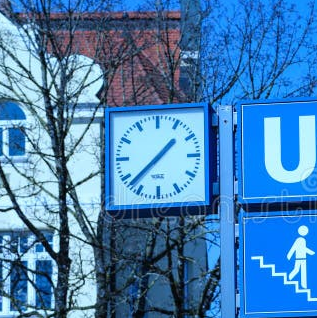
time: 1:37
